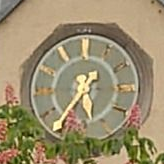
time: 5:36
